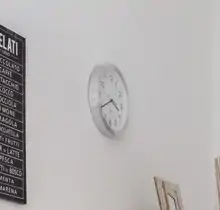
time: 3:40
